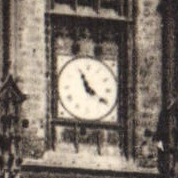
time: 11:21
